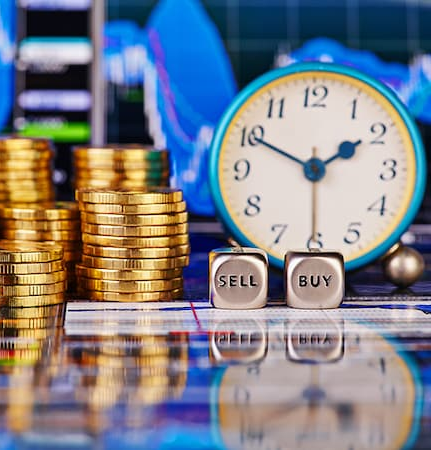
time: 1:49
